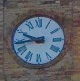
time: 9:43
